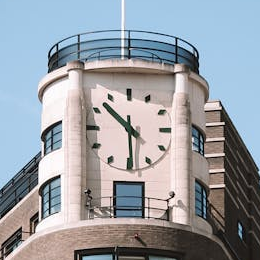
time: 10:29
